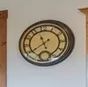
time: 11:39
